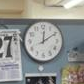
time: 12:09
